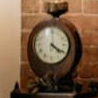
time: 4:20
